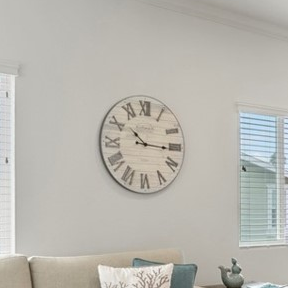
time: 10:15
